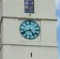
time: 4:41
